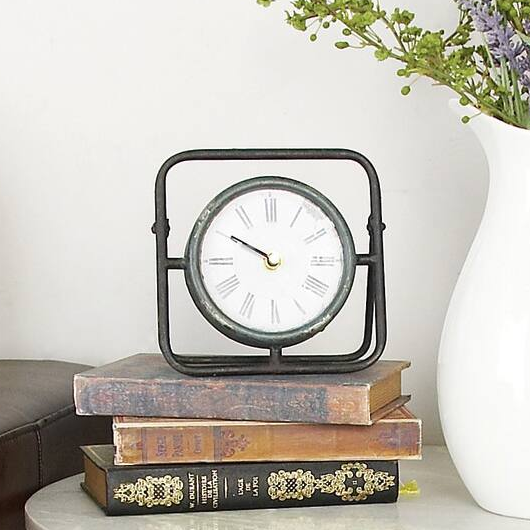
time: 9:50
